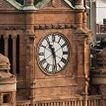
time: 10:28
